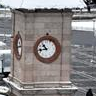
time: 10:43
